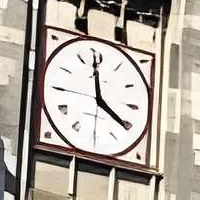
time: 3:58
